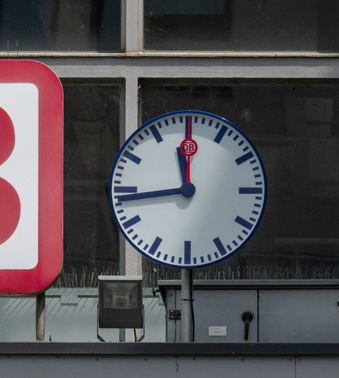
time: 11:43
